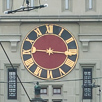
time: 9:15
